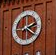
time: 2:21
